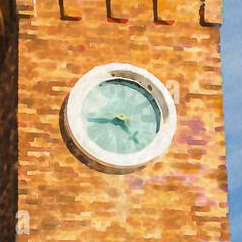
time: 4:44
